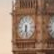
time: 6:28
